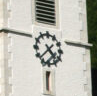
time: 4:37
